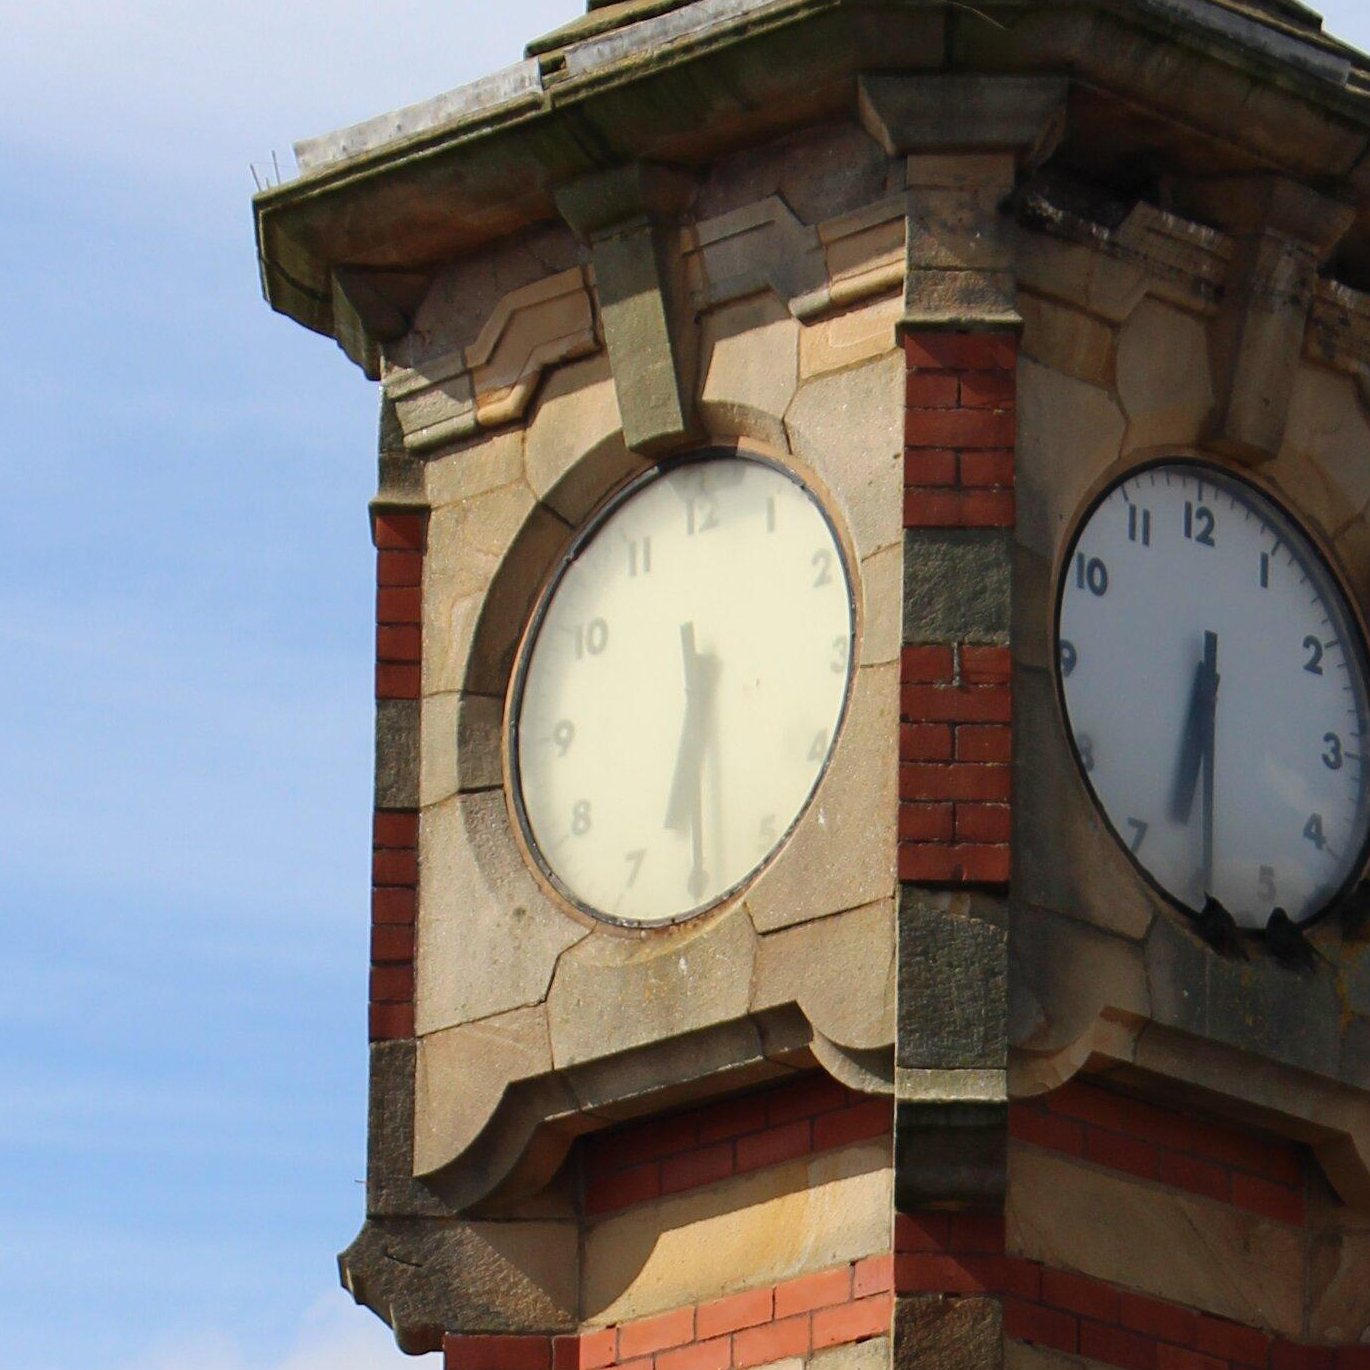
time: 6:29
